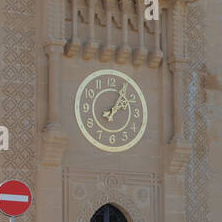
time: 2:06
